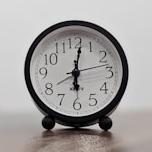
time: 6:01
